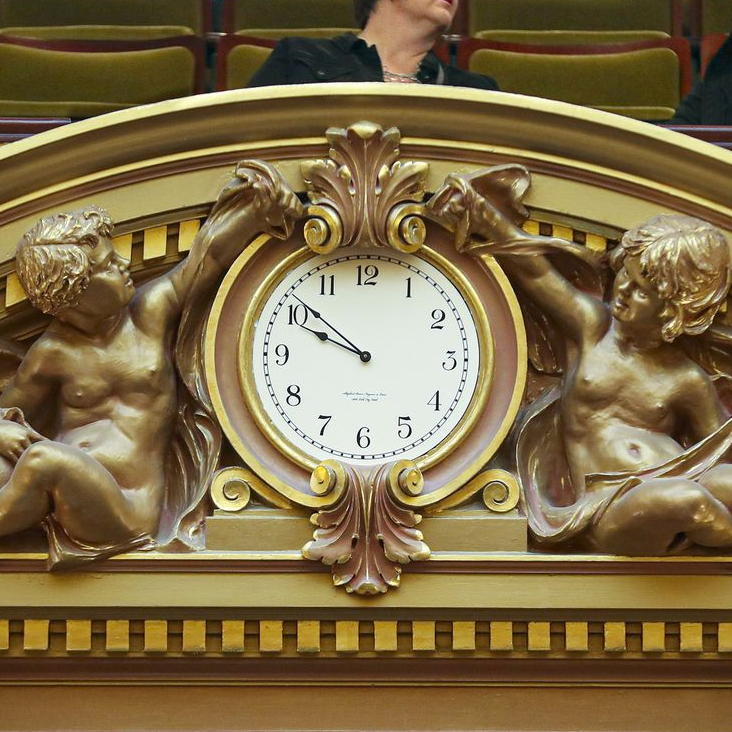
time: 9:51
